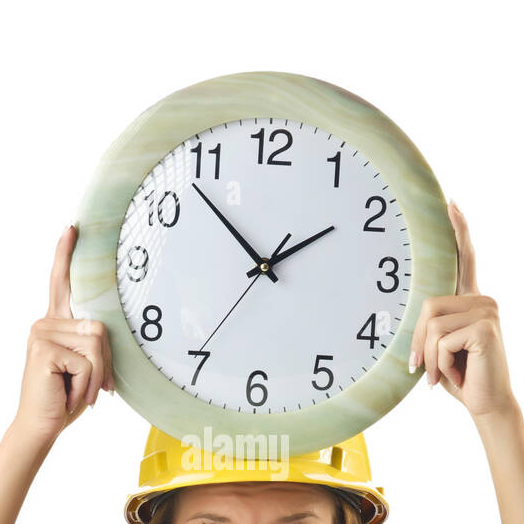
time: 1:53
